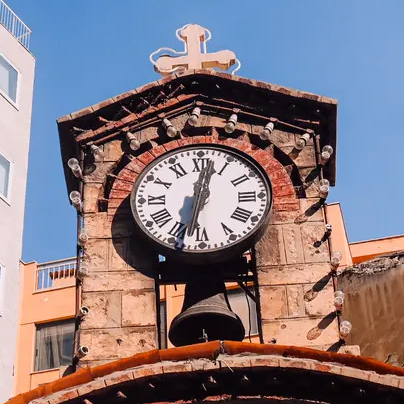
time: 12:32
